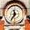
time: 11:35
